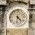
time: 4:31
